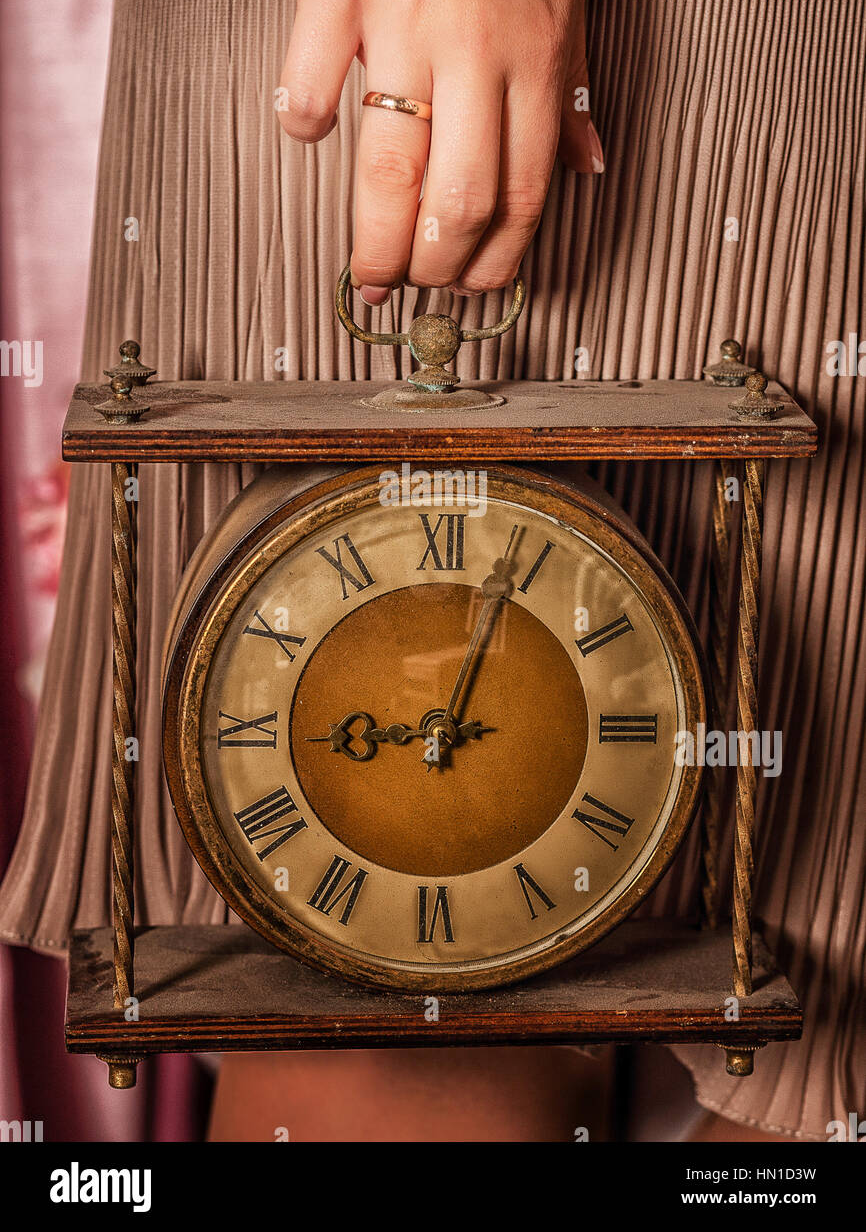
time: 9:03
